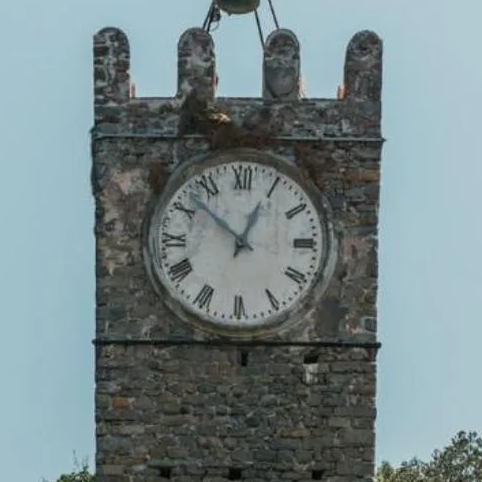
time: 12:52
